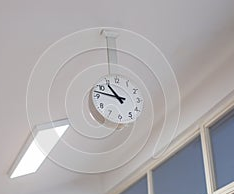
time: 10:47
